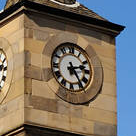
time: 2:24
